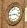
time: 3:45
